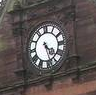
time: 4:26
